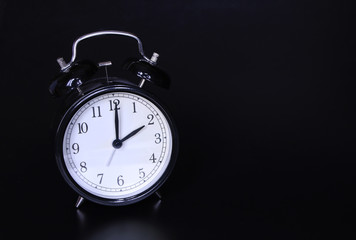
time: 2:00
